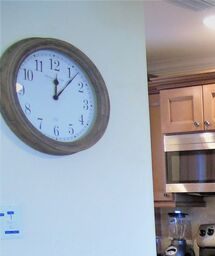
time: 12:06
